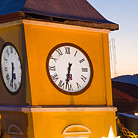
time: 6:32
